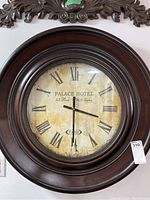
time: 3:30
